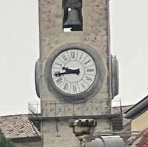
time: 9:43
